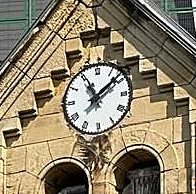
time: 11:08
